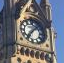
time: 7:08
